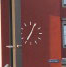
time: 7:04
